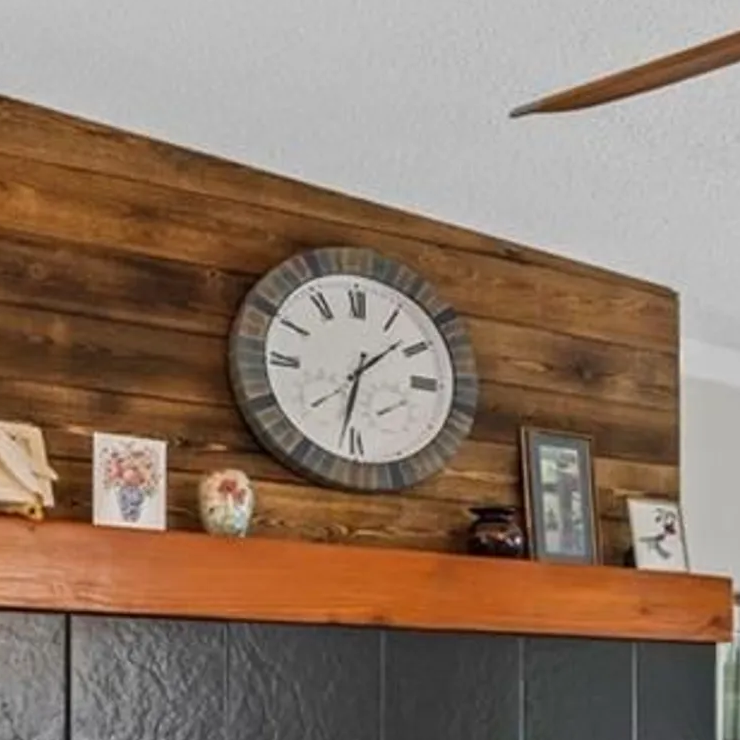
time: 1:32
